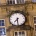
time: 7:30
